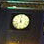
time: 11:37
